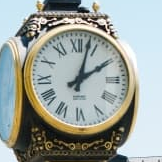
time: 2:03
